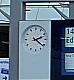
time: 2:21
